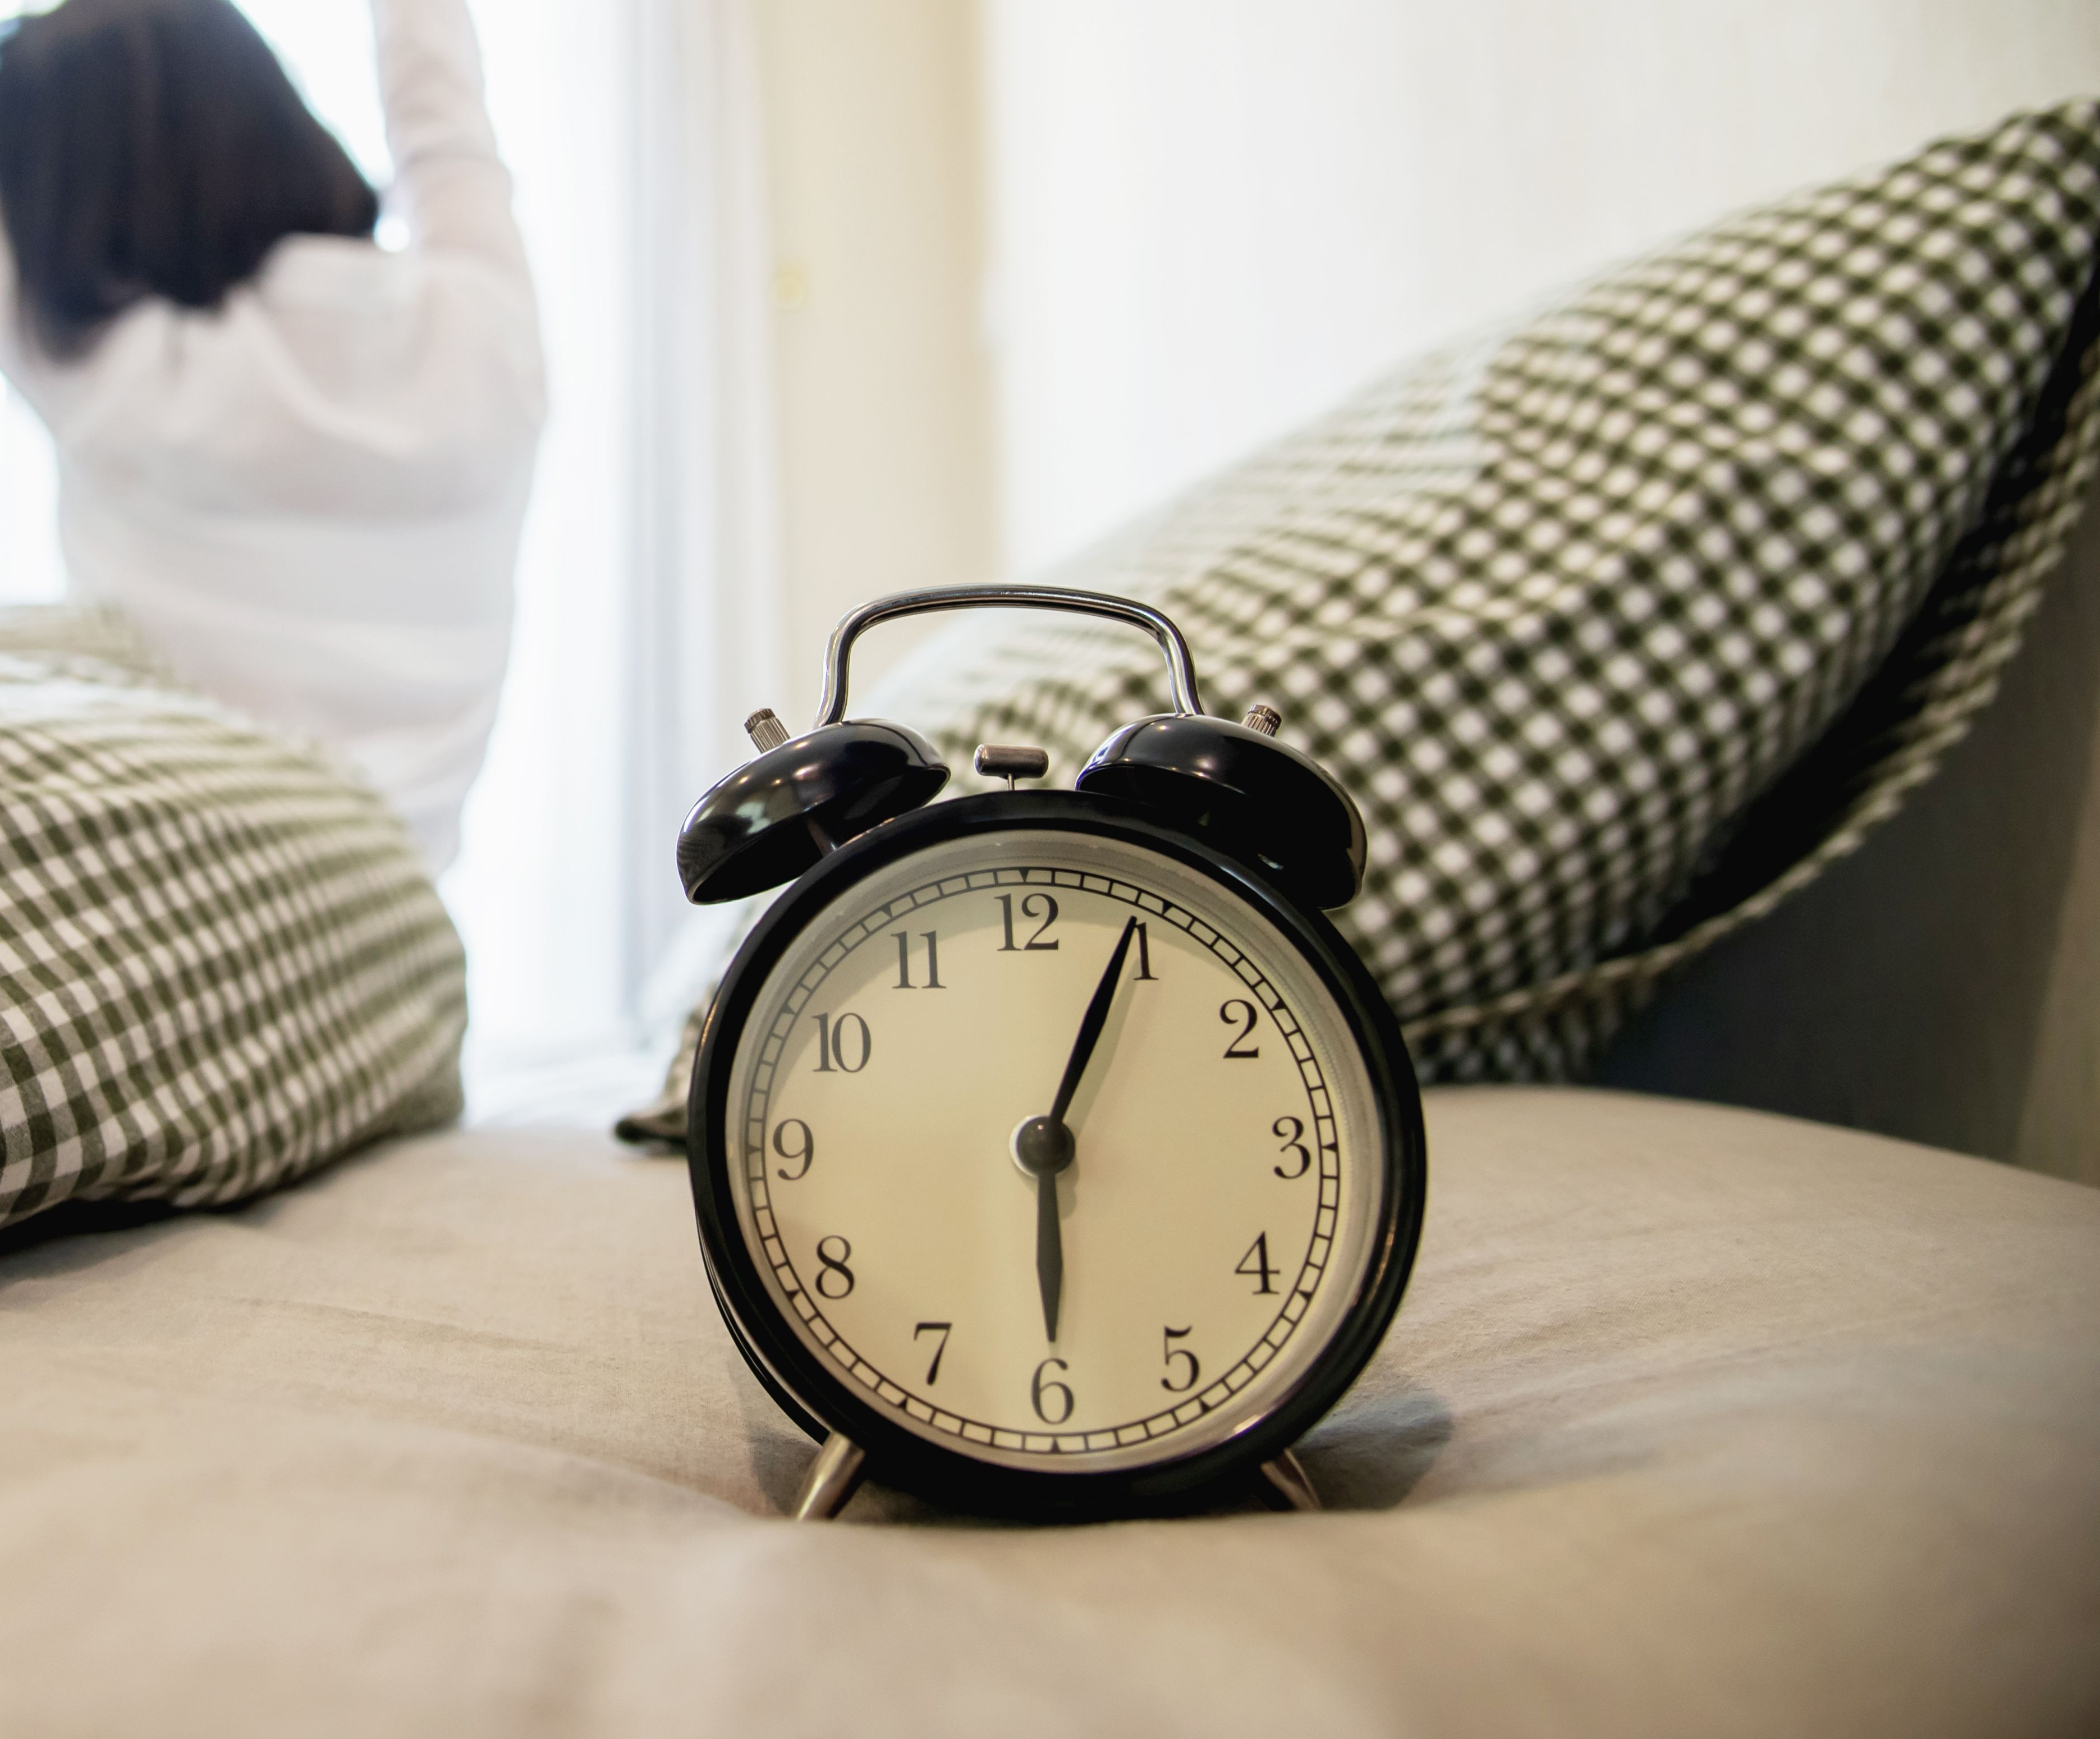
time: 6:04
